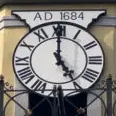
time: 4:59
